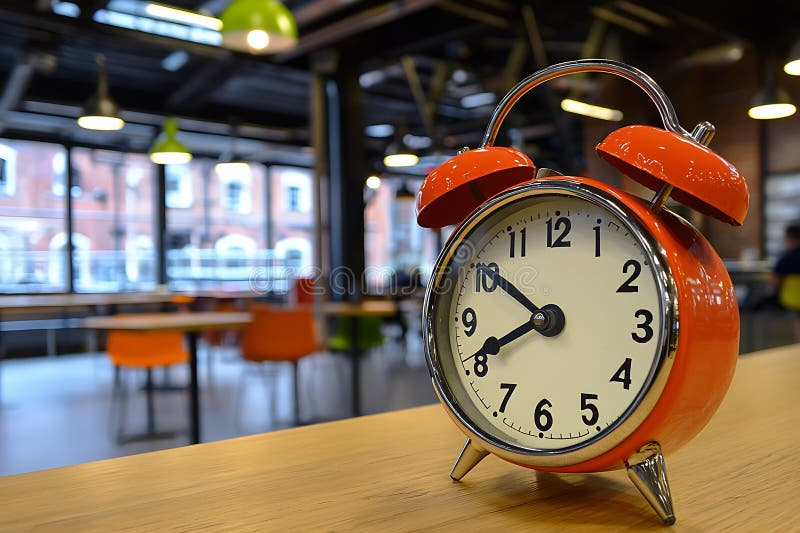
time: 7:50
